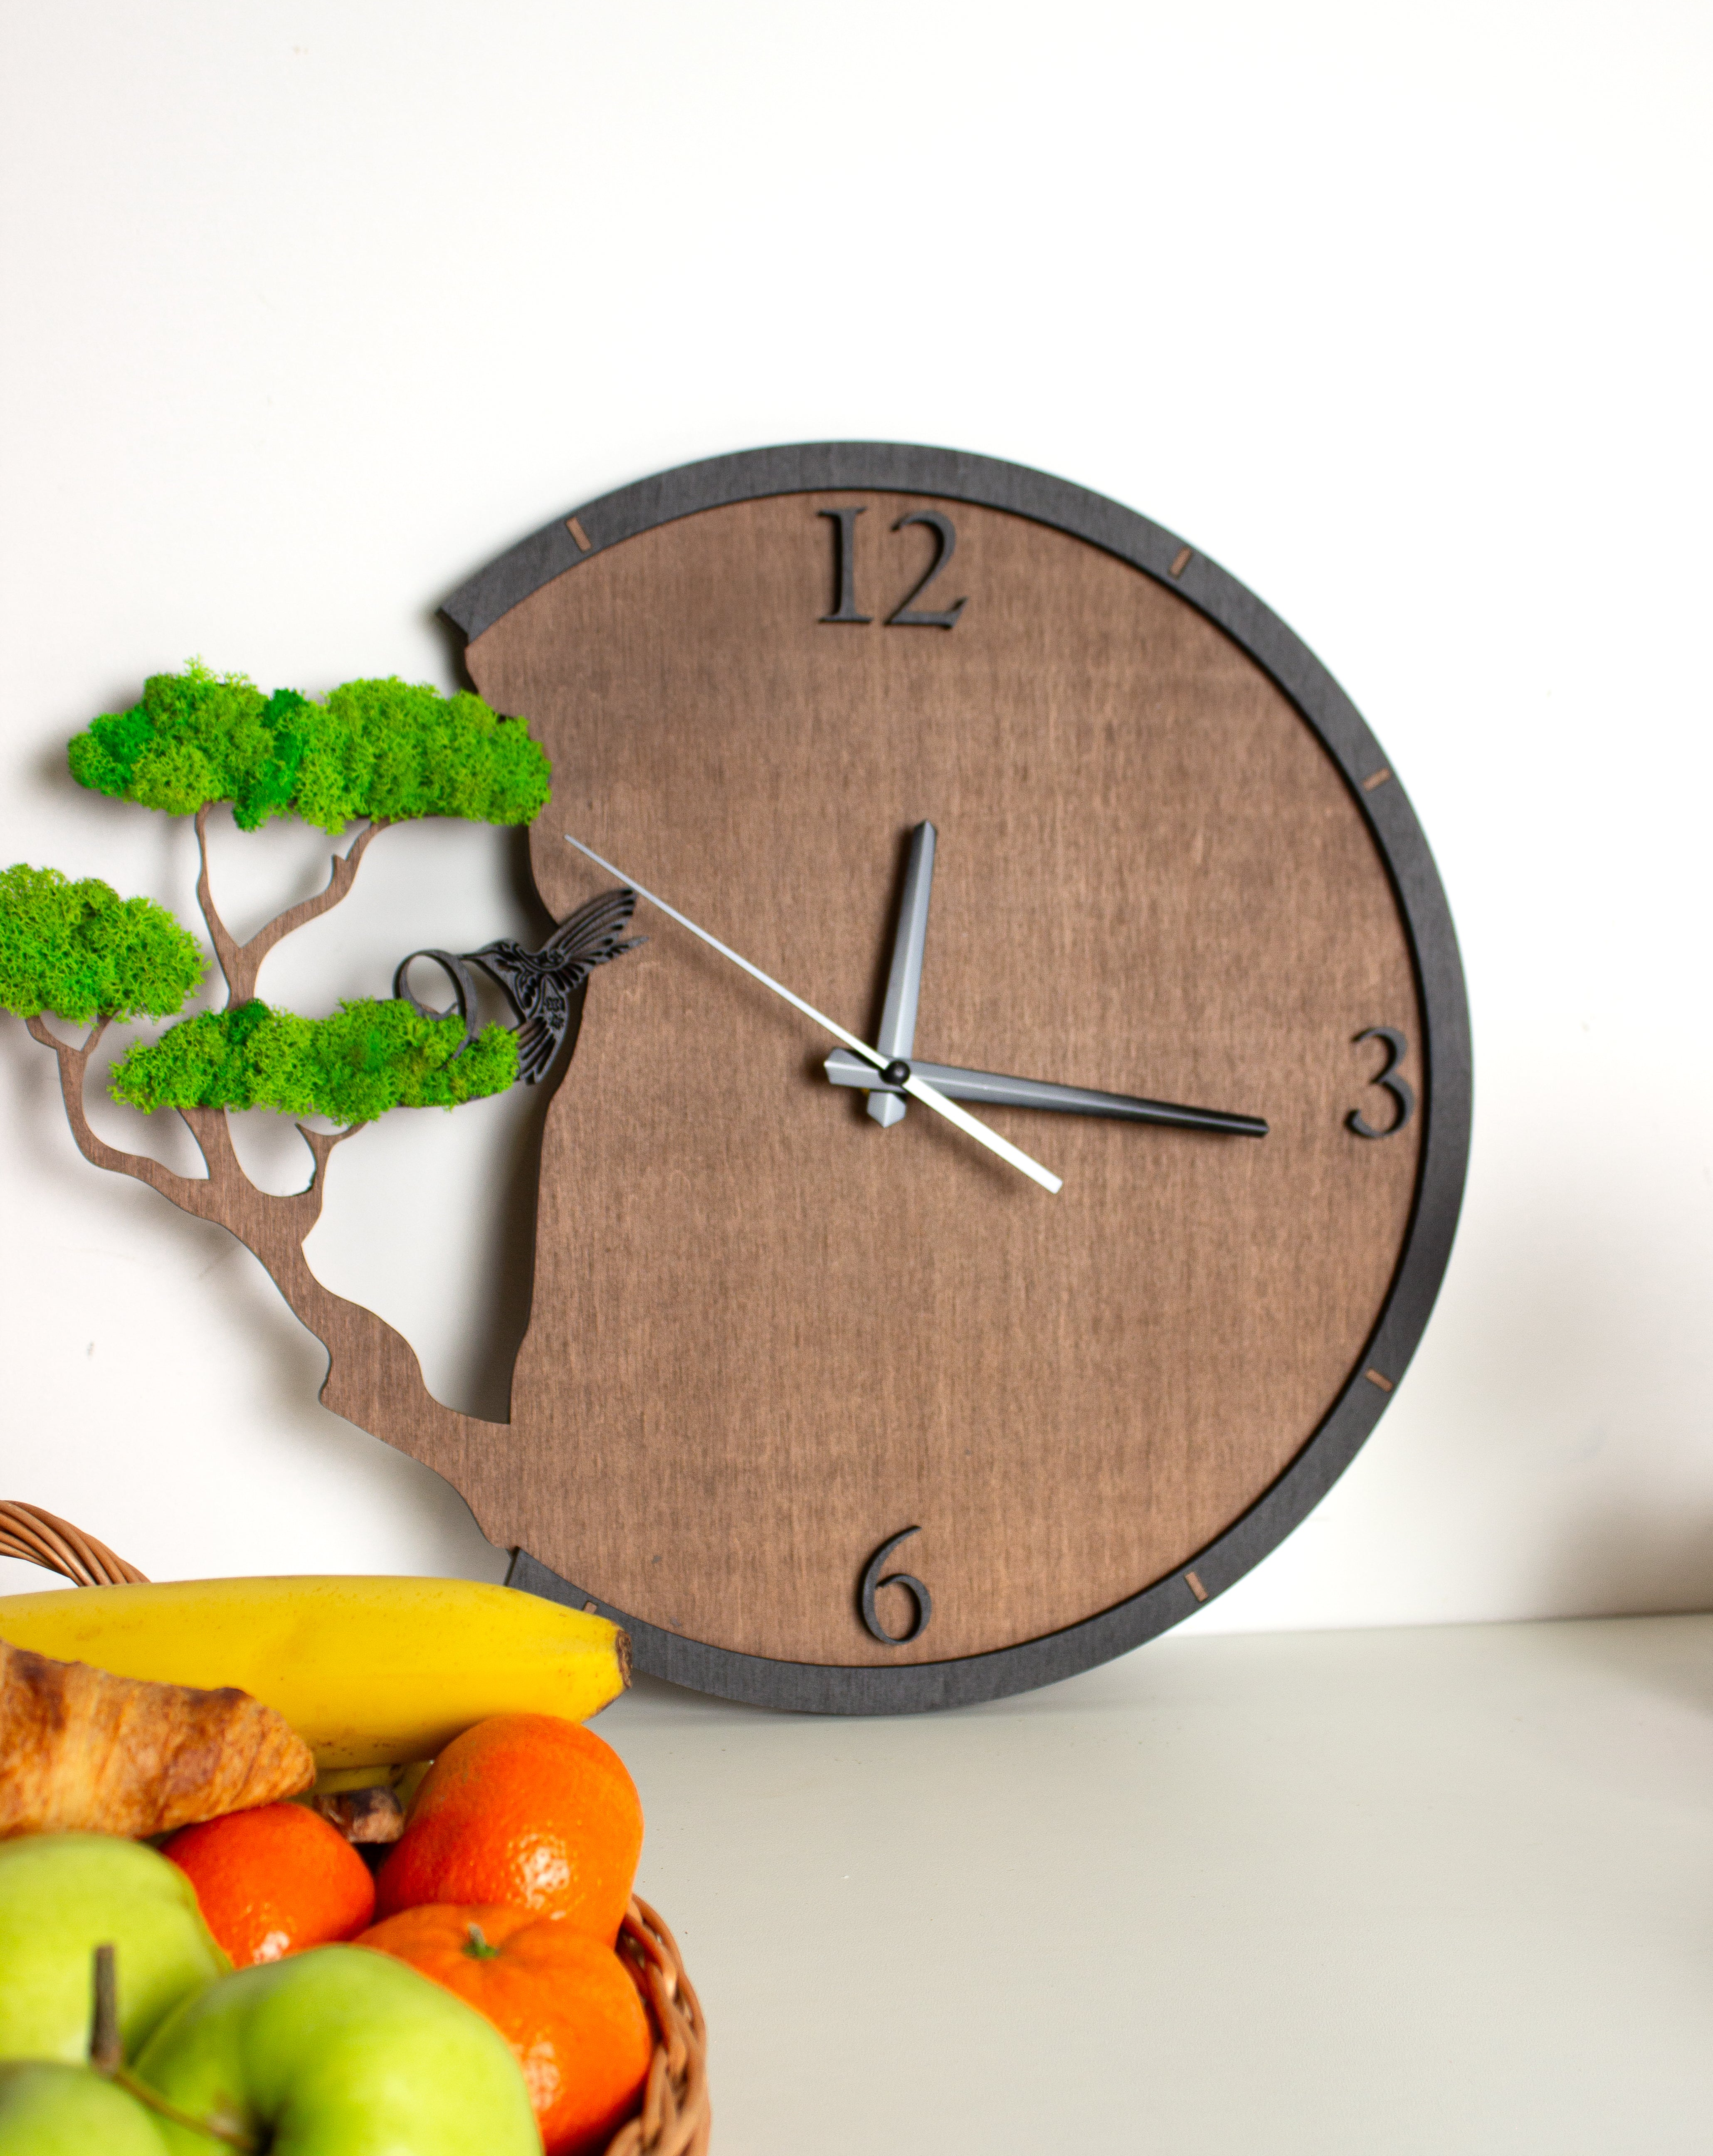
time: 12:15
